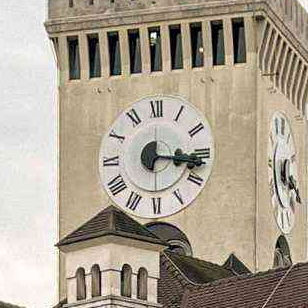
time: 3:16
